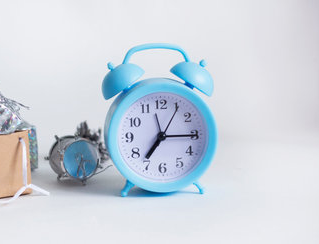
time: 7:15
